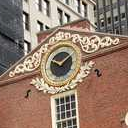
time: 1:49
